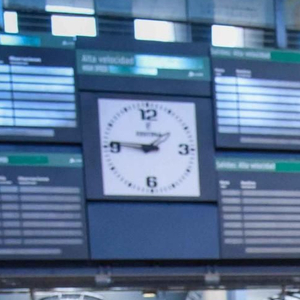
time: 1:46
